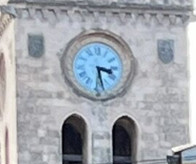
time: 3:27
